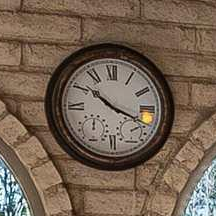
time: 10:18
